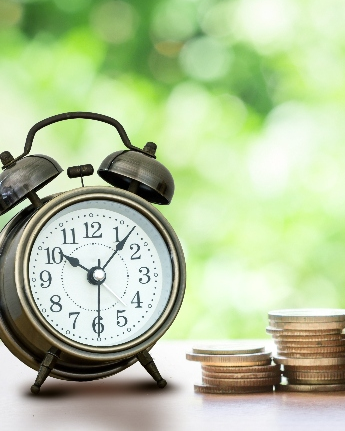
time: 10:07
